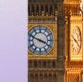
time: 3:48
